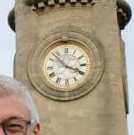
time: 3:52
